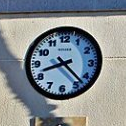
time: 8:22
